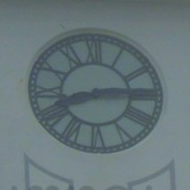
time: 8:14
